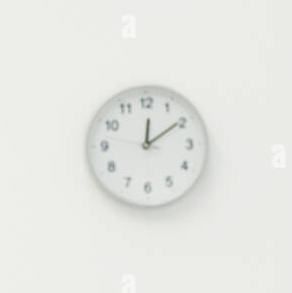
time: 12:09
